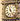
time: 11:24
